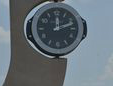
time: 12:11
